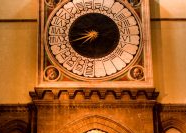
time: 7:42
